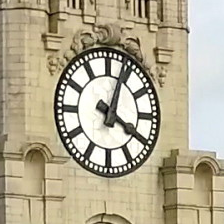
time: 4:03
